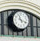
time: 11:18
